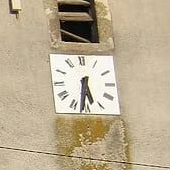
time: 5:31
